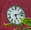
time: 5:12
